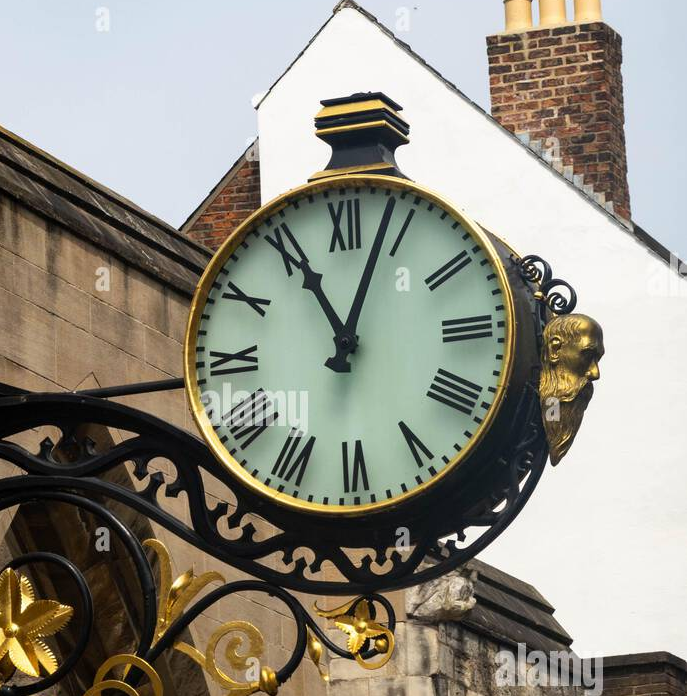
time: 11:03
